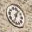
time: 12:33
